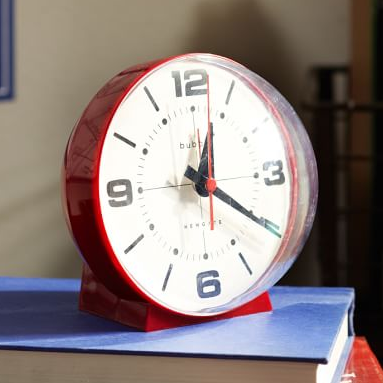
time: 12:20
